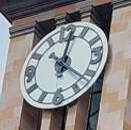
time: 12:21
